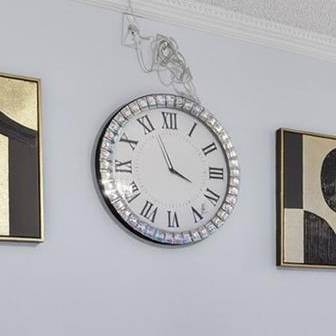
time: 3:56
